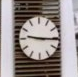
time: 9:15
